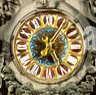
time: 5:05
